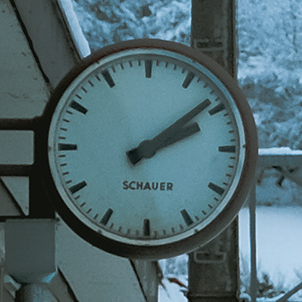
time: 2:08
